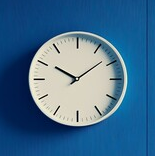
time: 10:08
